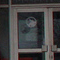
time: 8:12
